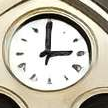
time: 3:00
